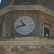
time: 10:42
